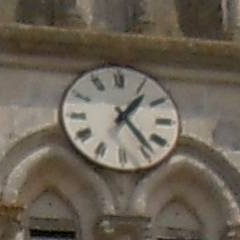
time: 1:23
